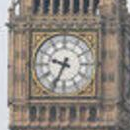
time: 9:34
